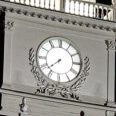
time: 7:37
